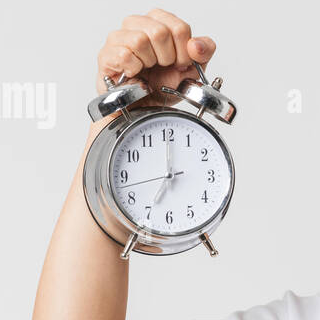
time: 7:00
